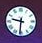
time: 9:31
